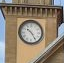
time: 10:24
